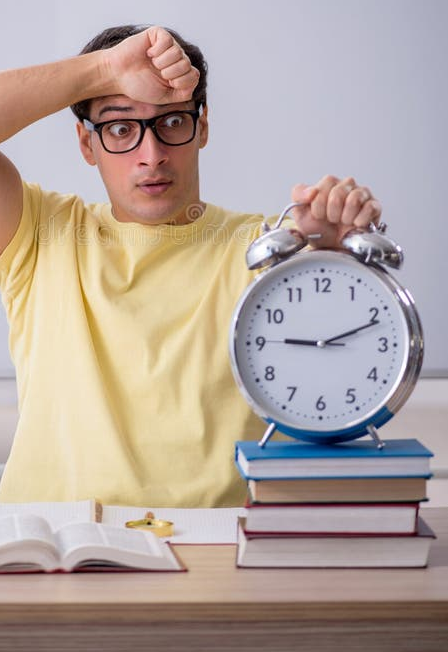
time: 9:11
